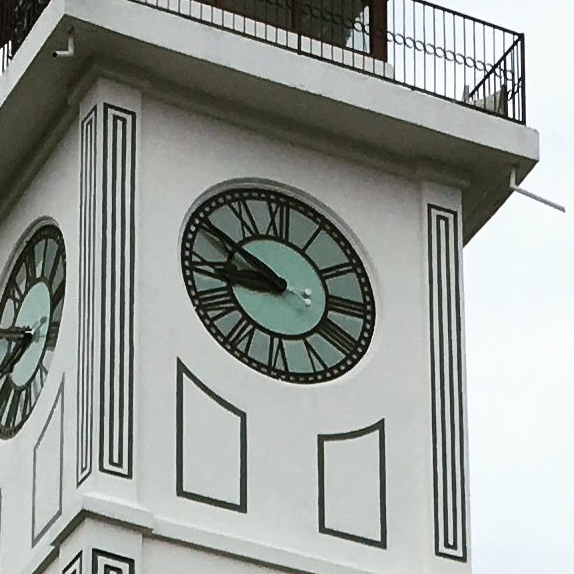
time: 8:49
